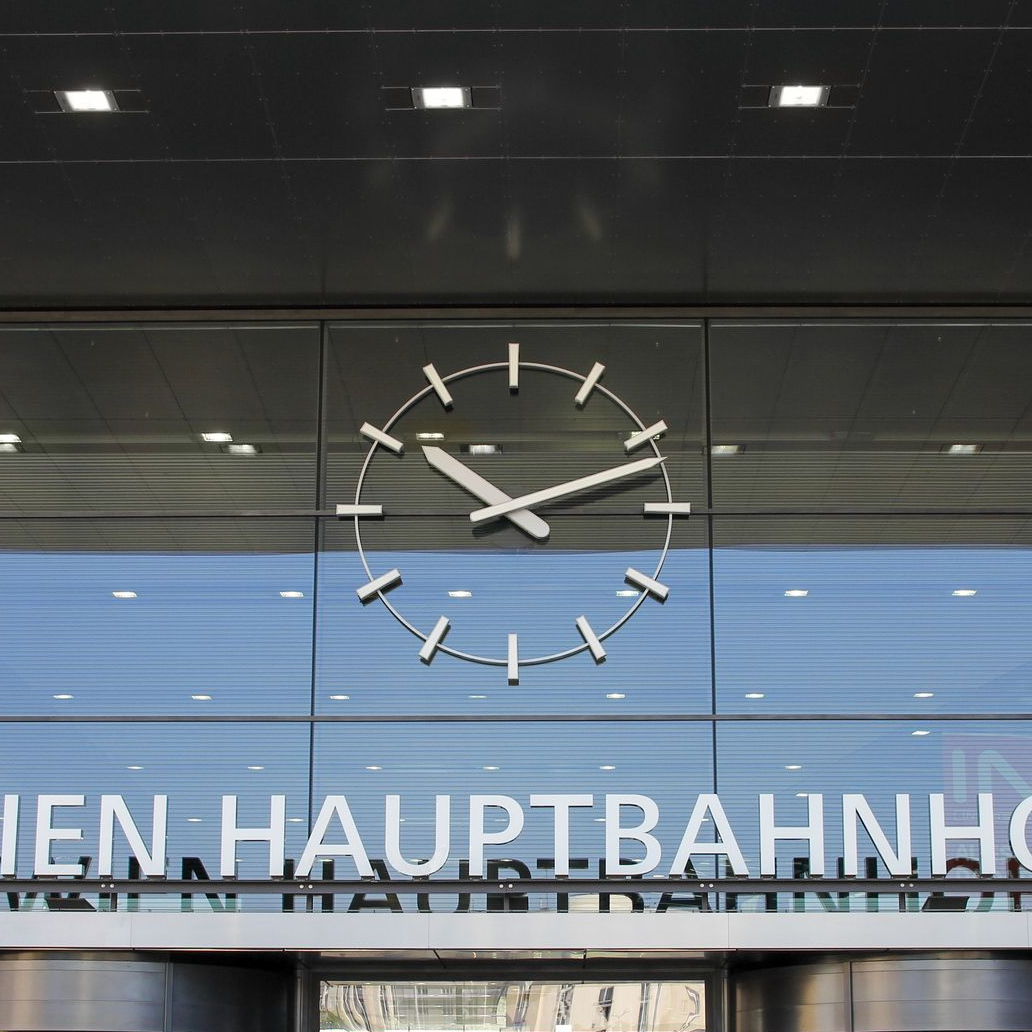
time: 10:11
